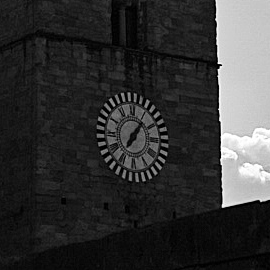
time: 1:06
